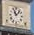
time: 11:07
